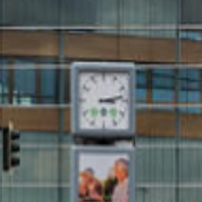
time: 3:13
